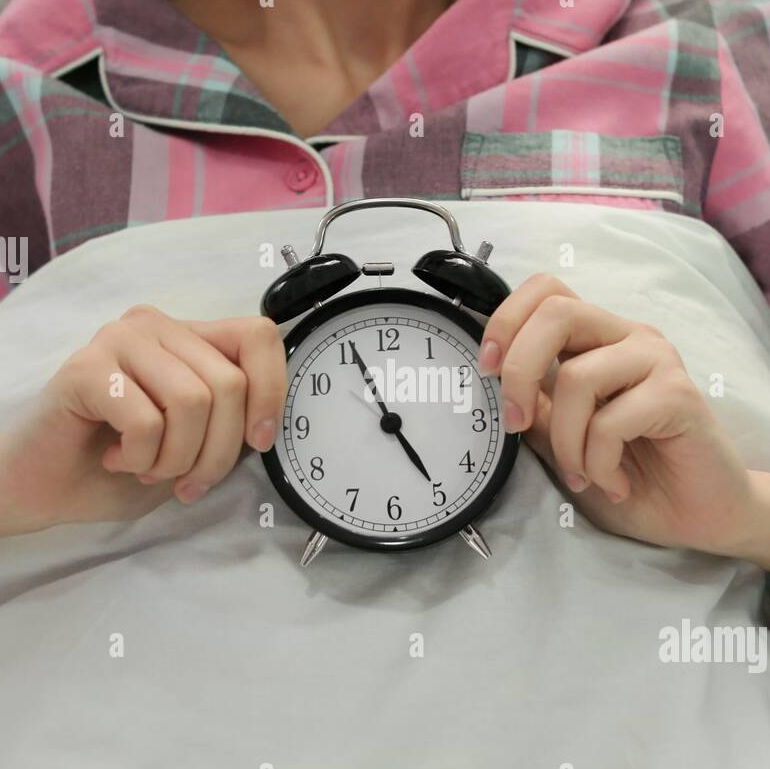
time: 4:56
